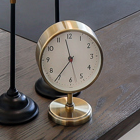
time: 11:35
